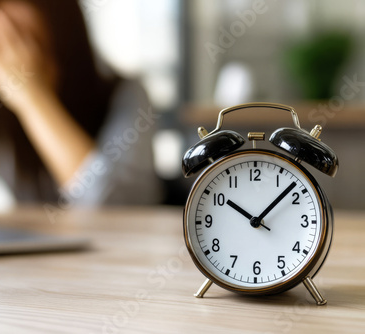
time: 10:08
